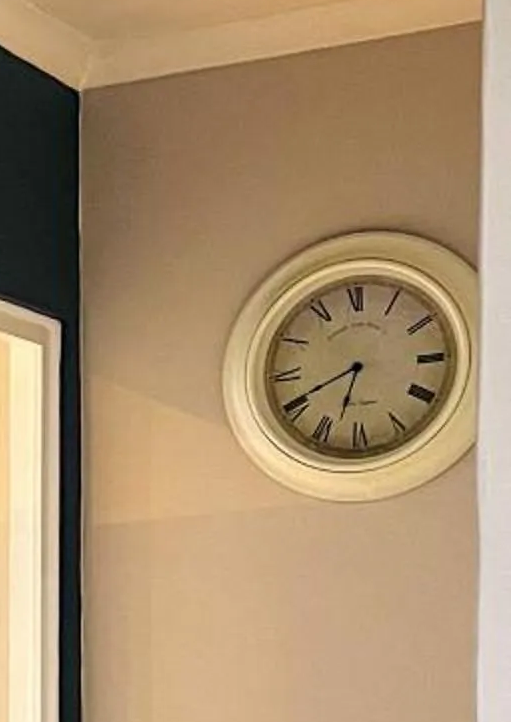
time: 6:41
